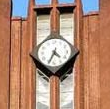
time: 4:34
